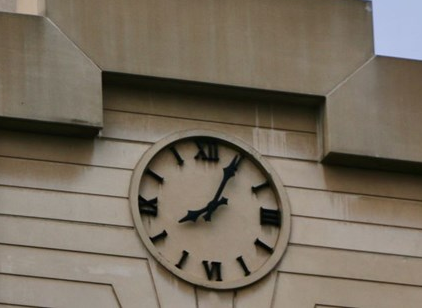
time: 8:04
